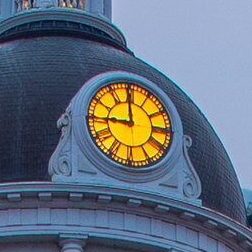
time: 8:59
